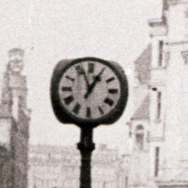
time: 12:56
